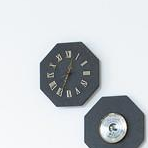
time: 12:33
